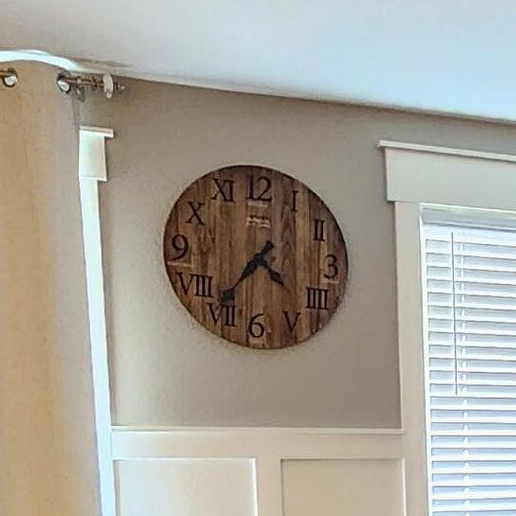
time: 4:36
